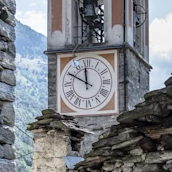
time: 11:49
